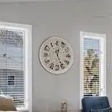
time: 12:26
